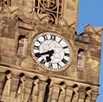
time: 6:39
